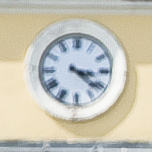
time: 3:21
